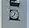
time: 12:37
